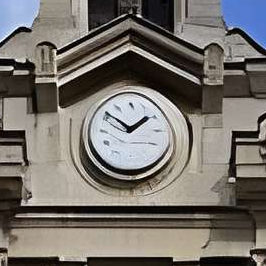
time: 1:51
